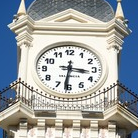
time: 3:31
